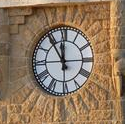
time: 11:54
